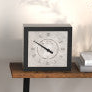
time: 3:50
